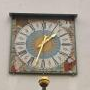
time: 1:32
